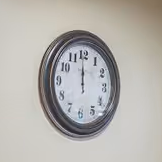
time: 11:59
